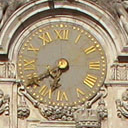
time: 6:40
